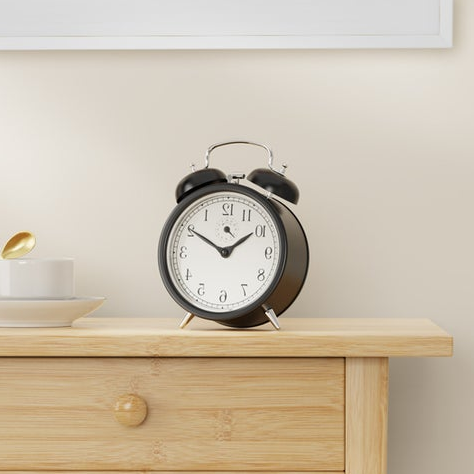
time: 1:50
